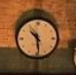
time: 10:28
